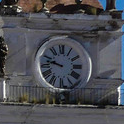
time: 9:47
